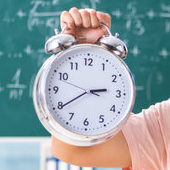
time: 2:39
